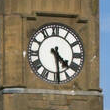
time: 4:29
